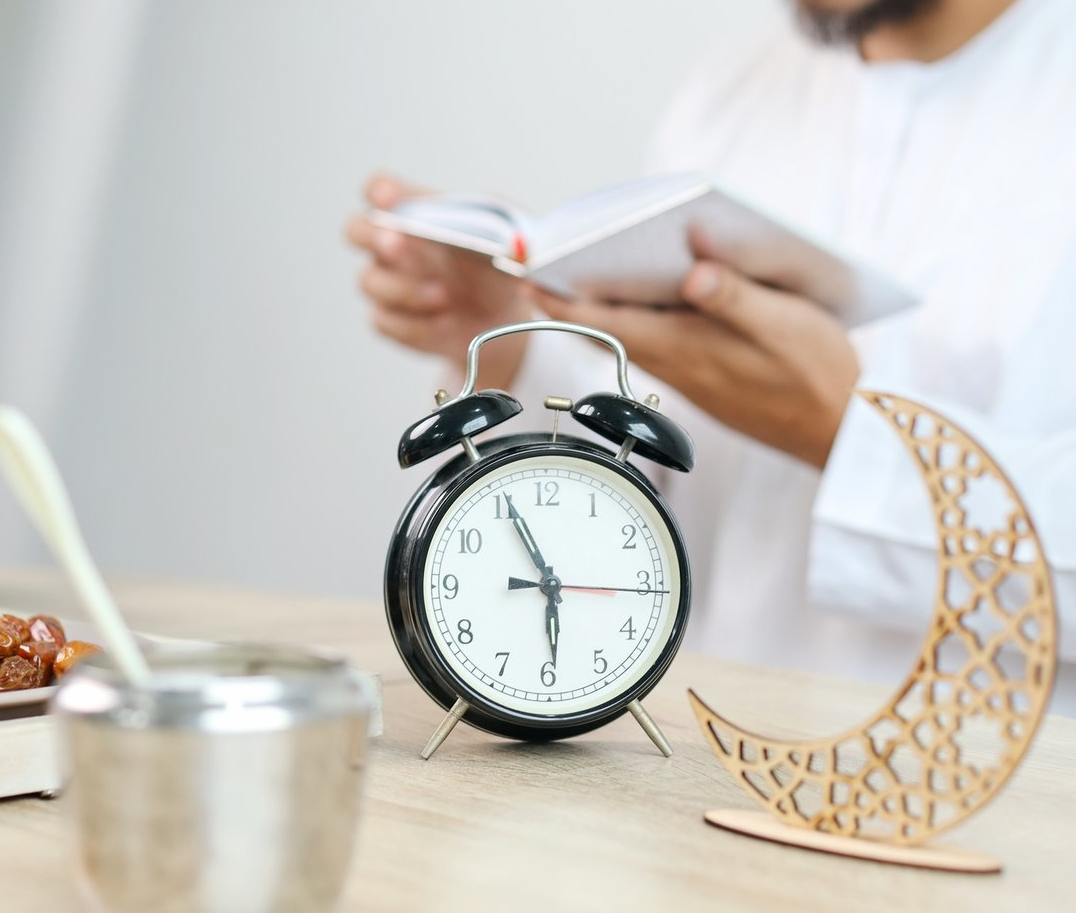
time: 5:55
